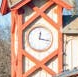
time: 12:16
